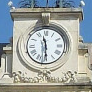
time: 11:29
